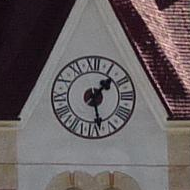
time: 1:28
